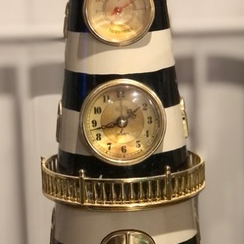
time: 1:42
